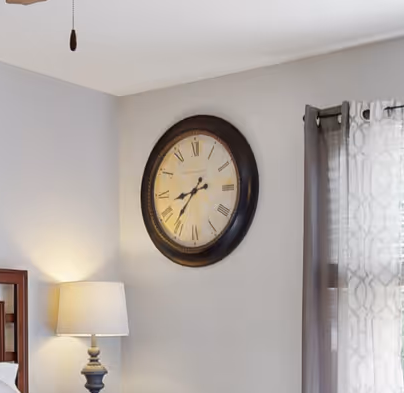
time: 8:36
